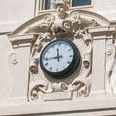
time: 11:43
